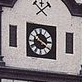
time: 10:20
